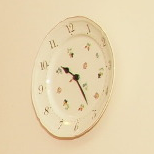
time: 10:24
